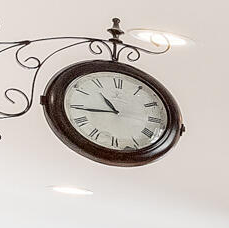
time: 10:43
